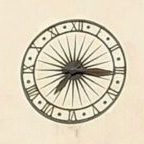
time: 7:15
